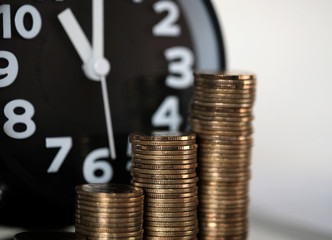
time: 11:00
